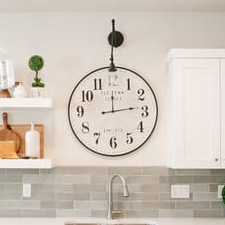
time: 12:13
